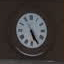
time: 5:25
